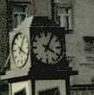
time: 4:04
